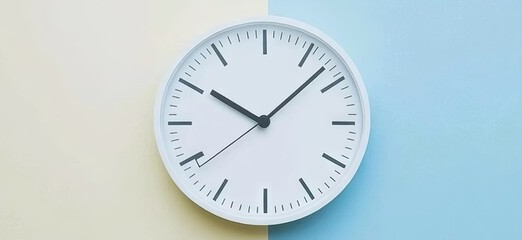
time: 10:07
